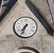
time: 7:33
